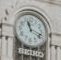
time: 11:18
